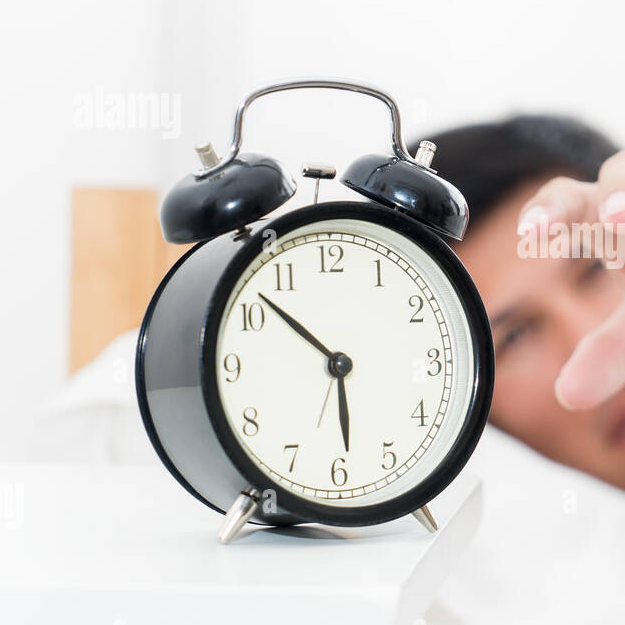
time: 5:52
